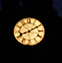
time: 8:10
